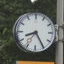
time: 8:25
